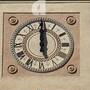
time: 11:59
